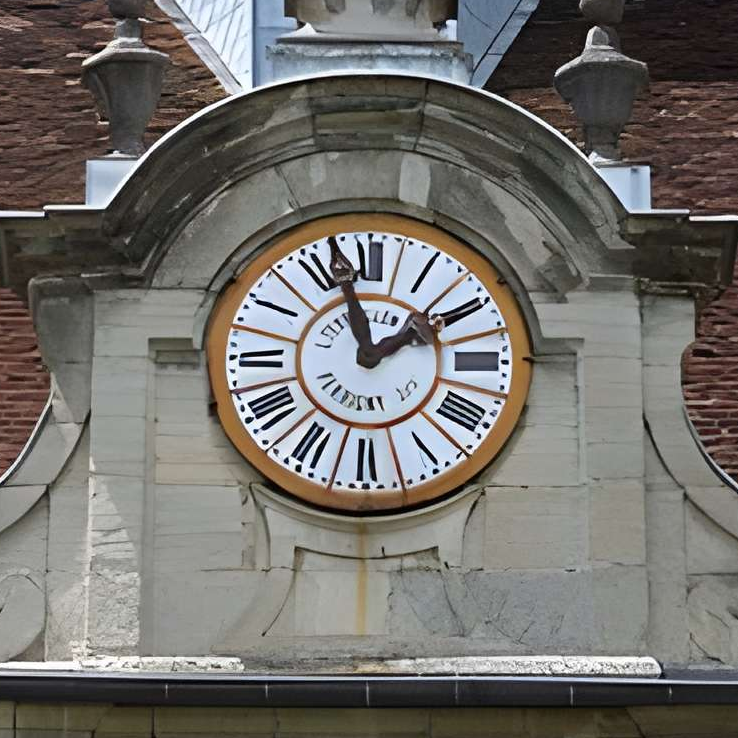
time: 1:57
